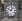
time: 12:49
